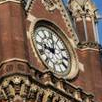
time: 9:01
